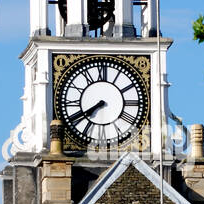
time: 7:40
